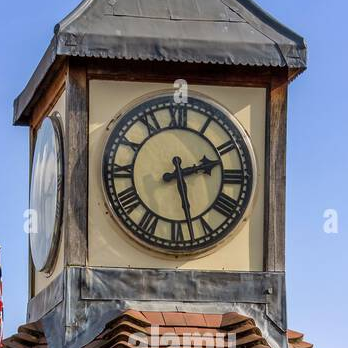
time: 2:27
